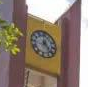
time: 12:23
